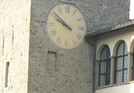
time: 9:51
